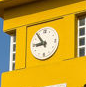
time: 8:53
